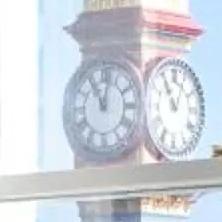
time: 11:02
